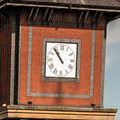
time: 10:53
